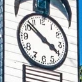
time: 3:51
